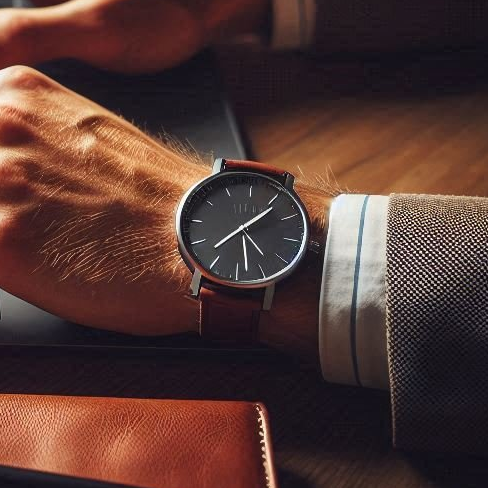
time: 1:28
